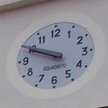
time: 9:49
